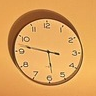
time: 5:46
